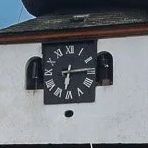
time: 6:14
